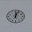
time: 12:03
